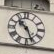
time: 10:26
